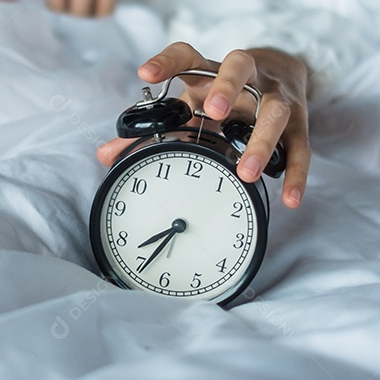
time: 7:34
